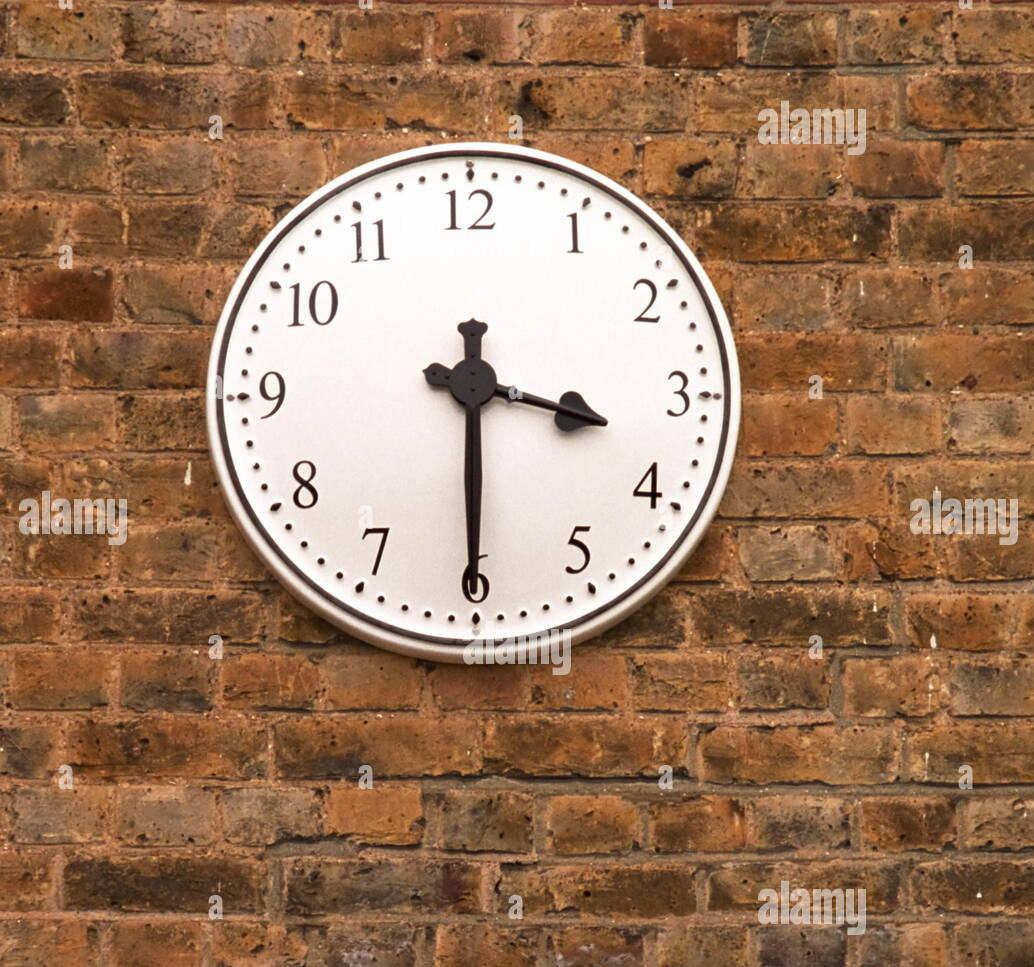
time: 3:30
